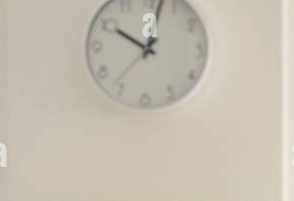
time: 10:02
